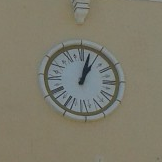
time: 1:03
